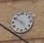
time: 4:50
